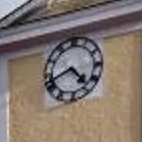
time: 4:41
